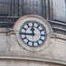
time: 11:44
